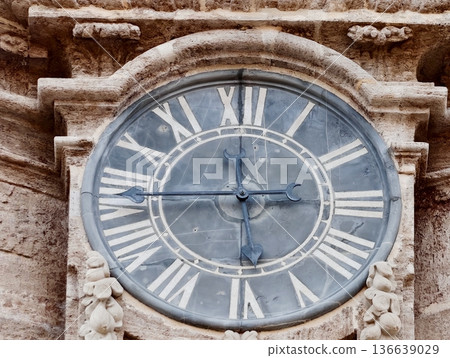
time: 2:45
